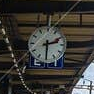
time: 2:30
